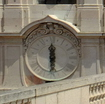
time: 5:59
